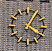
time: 4:04
